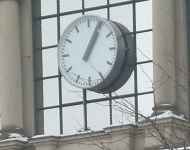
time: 1:04
